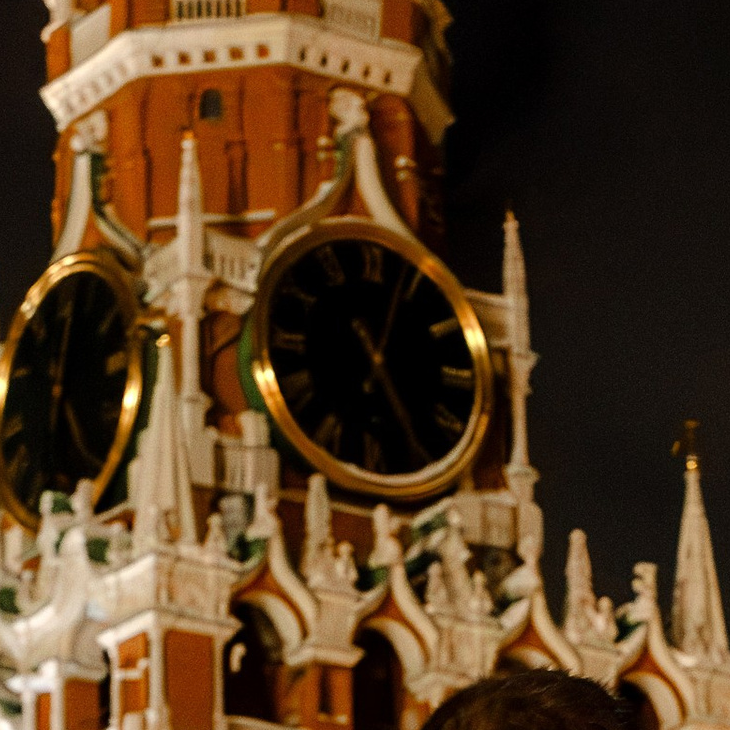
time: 5:03
